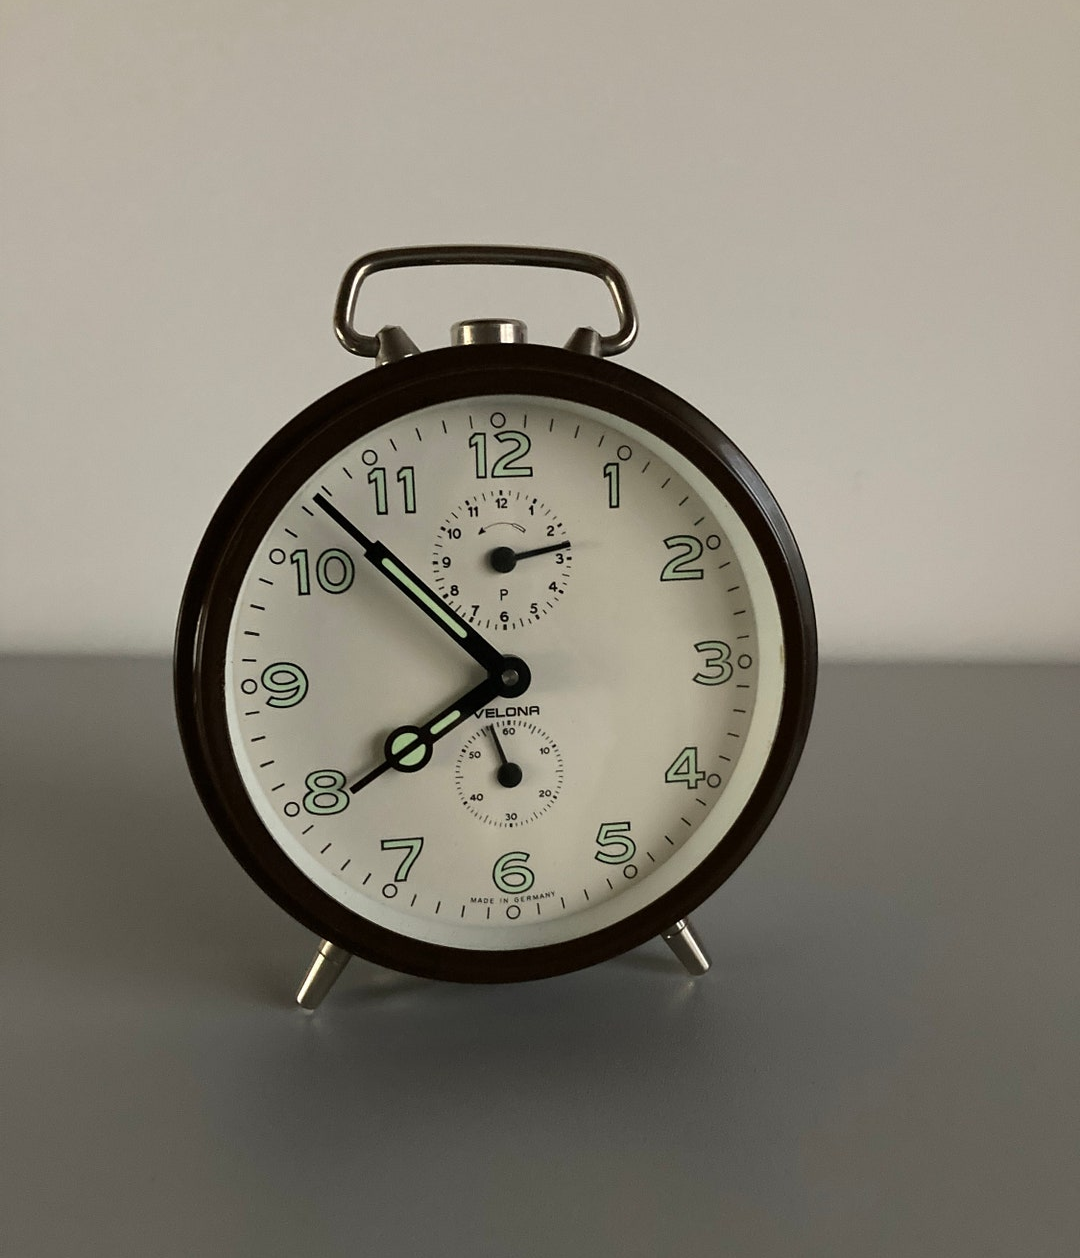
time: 7:52
